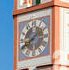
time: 1:40
